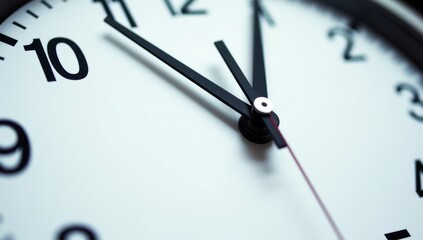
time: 11:53
